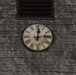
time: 12:13
